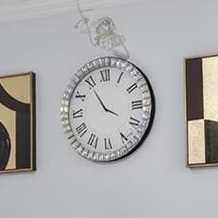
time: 3:54
